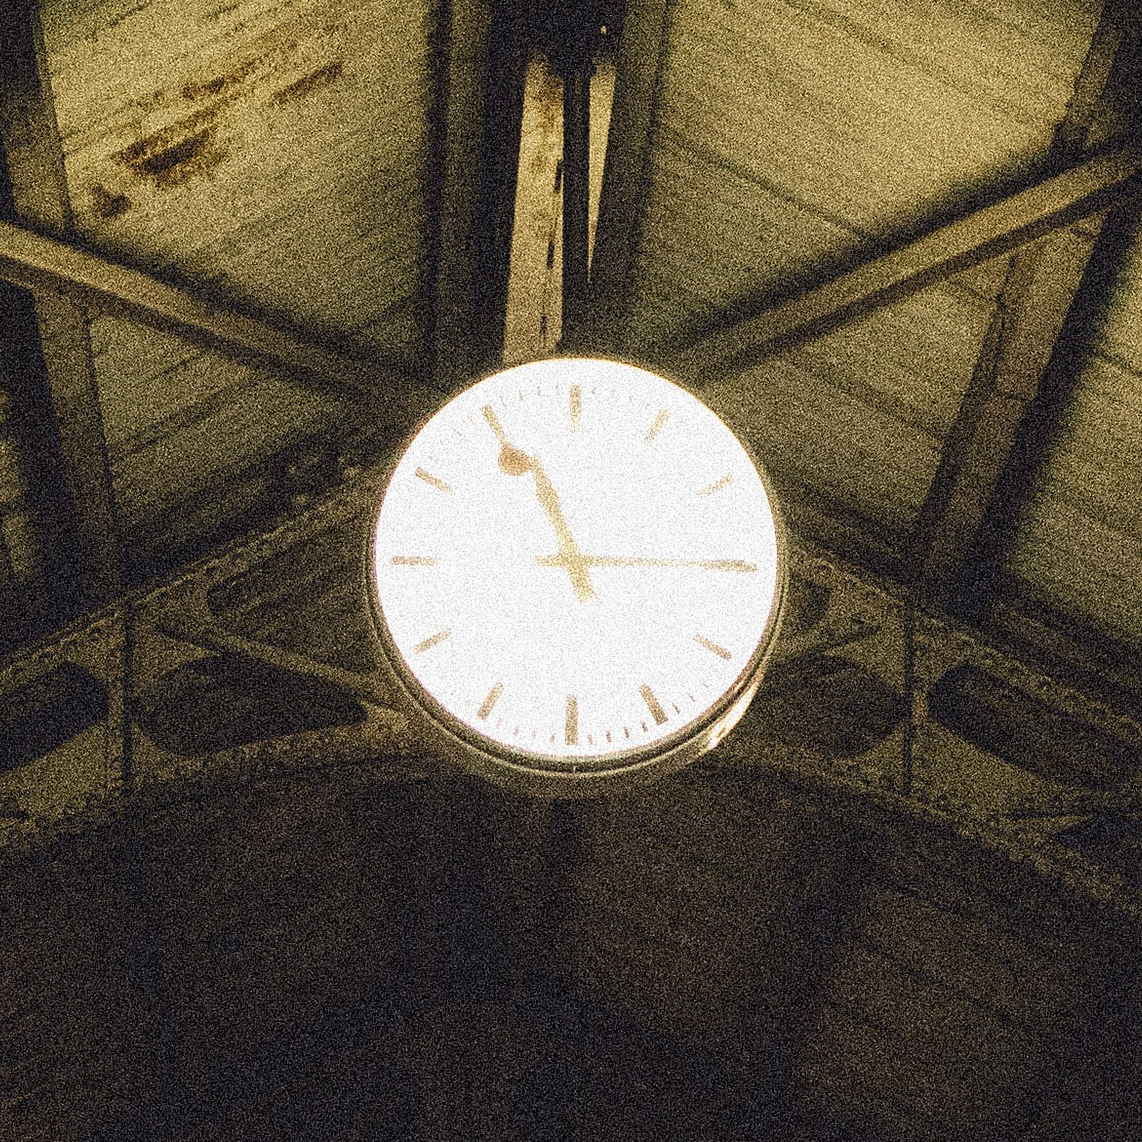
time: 11:14
